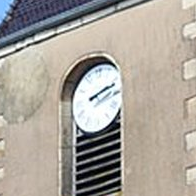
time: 2:12
